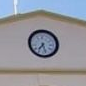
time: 7:27
